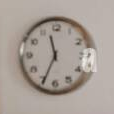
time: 11:34
